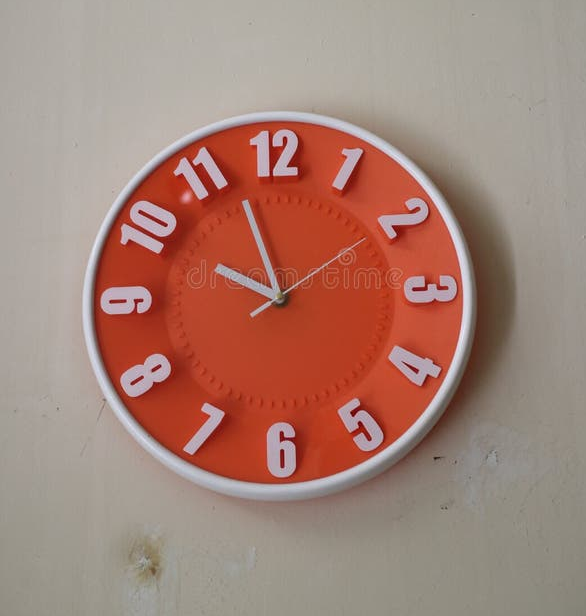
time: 9:57
